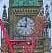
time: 9:01
